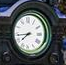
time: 7:43
